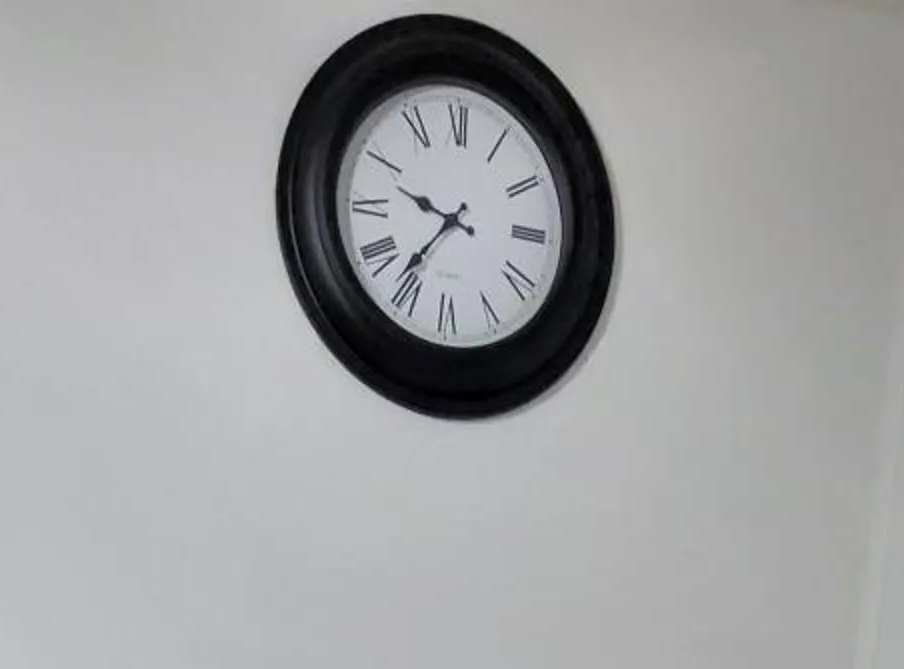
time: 9:36
